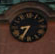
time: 8:34
